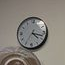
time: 4:17
